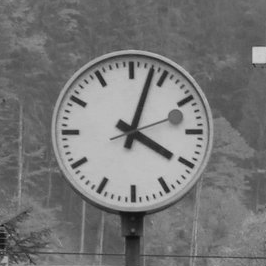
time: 4:03
